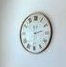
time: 2:30
